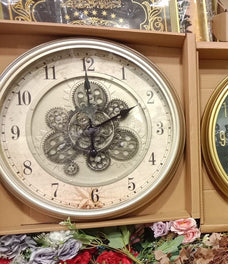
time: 2:00
